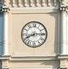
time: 8:14
